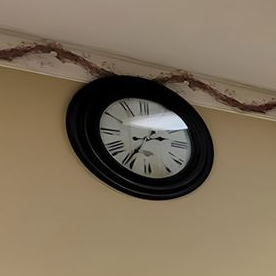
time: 2:35
